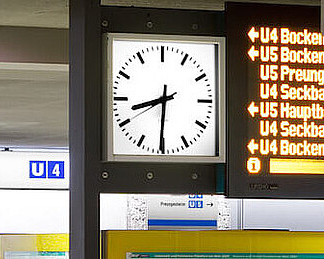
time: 8:30
